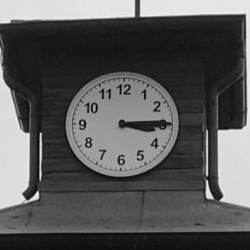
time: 3:14
